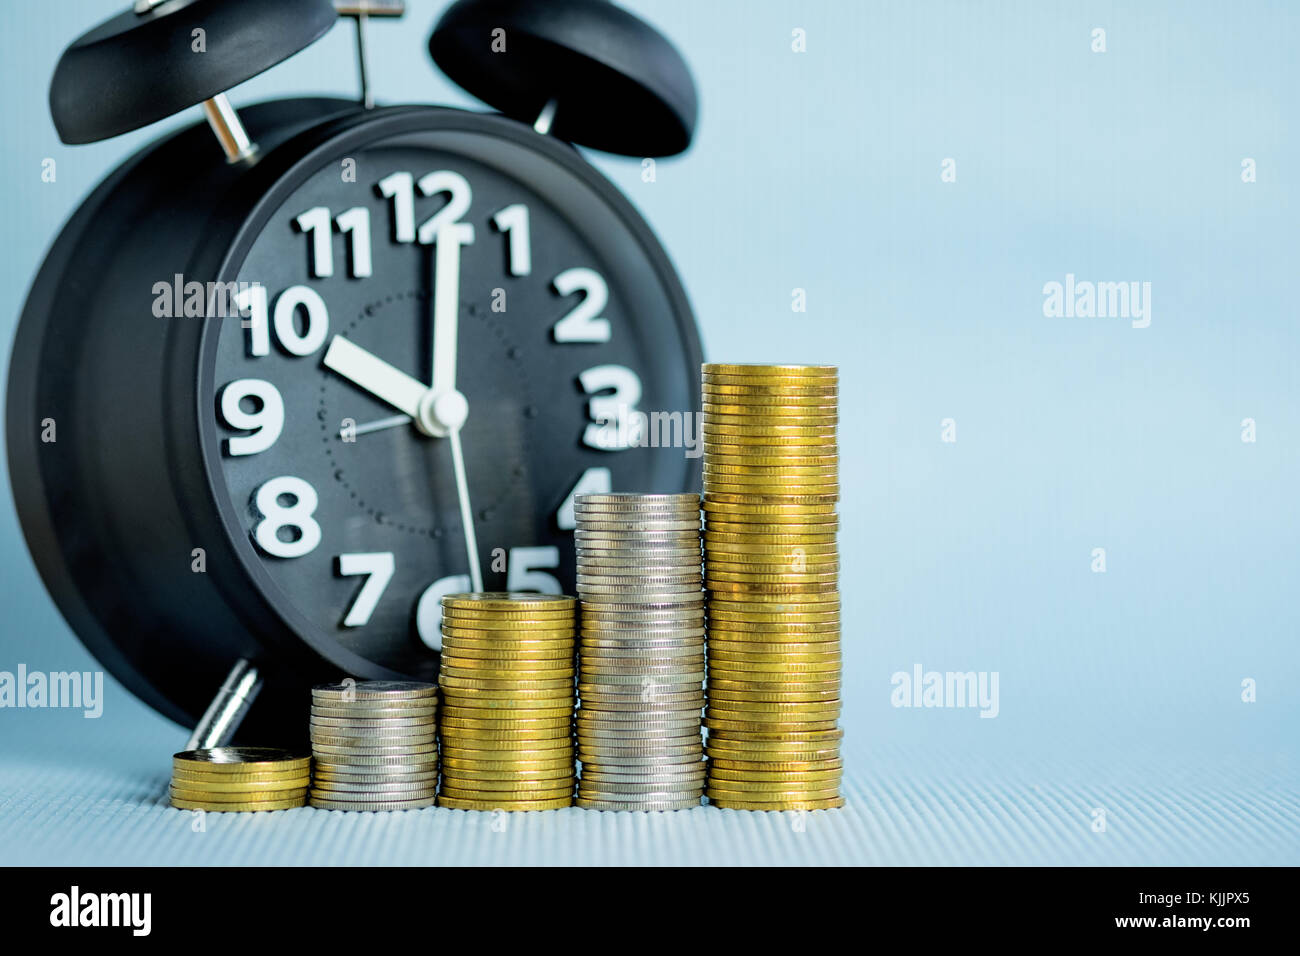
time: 10:01
